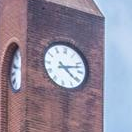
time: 4:12
